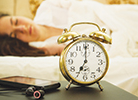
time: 7:00
